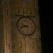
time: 9:42
